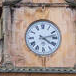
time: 4:12
